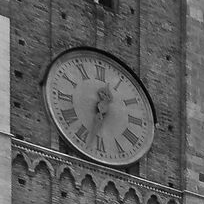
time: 12:32
